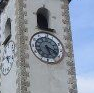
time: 5:18
